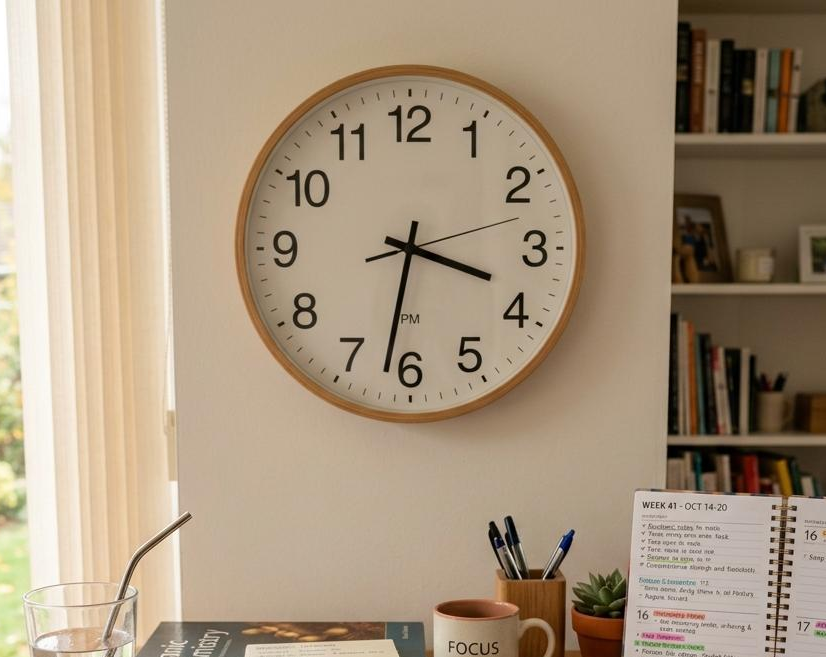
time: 3:32
